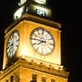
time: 7:45
